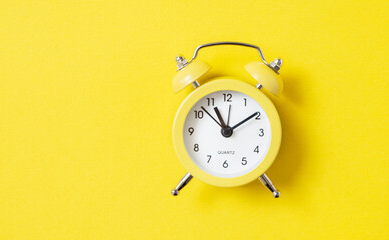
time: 11:09
